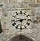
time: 6:13
